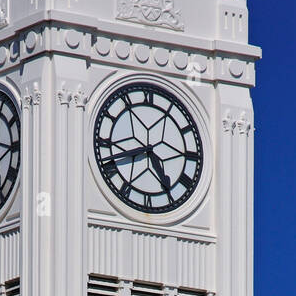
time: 4:41
